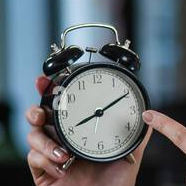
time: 8:10
